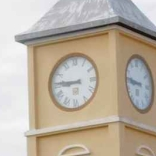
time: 8:45
